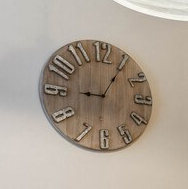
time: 9:05
